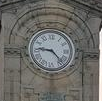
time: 9:22
